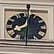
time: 8:01
